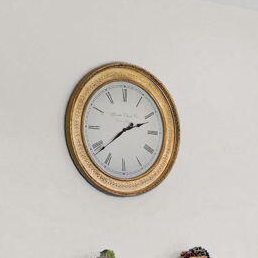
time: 2:38
